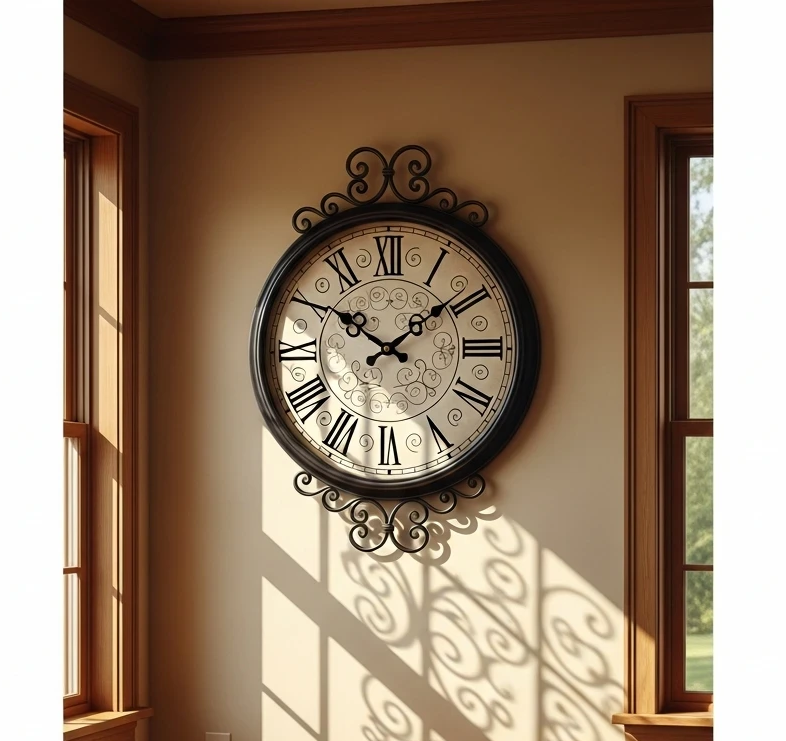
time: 1:50
